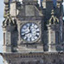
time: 11:41
